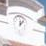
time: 12:07
